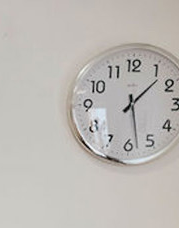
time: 1:28
